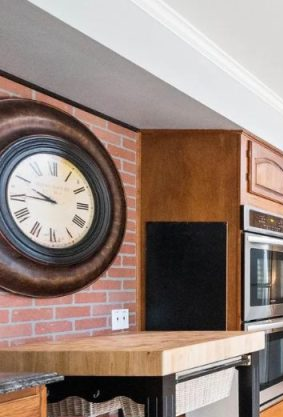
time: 9:44
